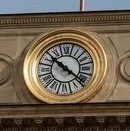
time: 10:21
